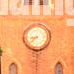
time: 8:38
